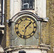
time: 1:31
